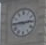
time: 2:45
